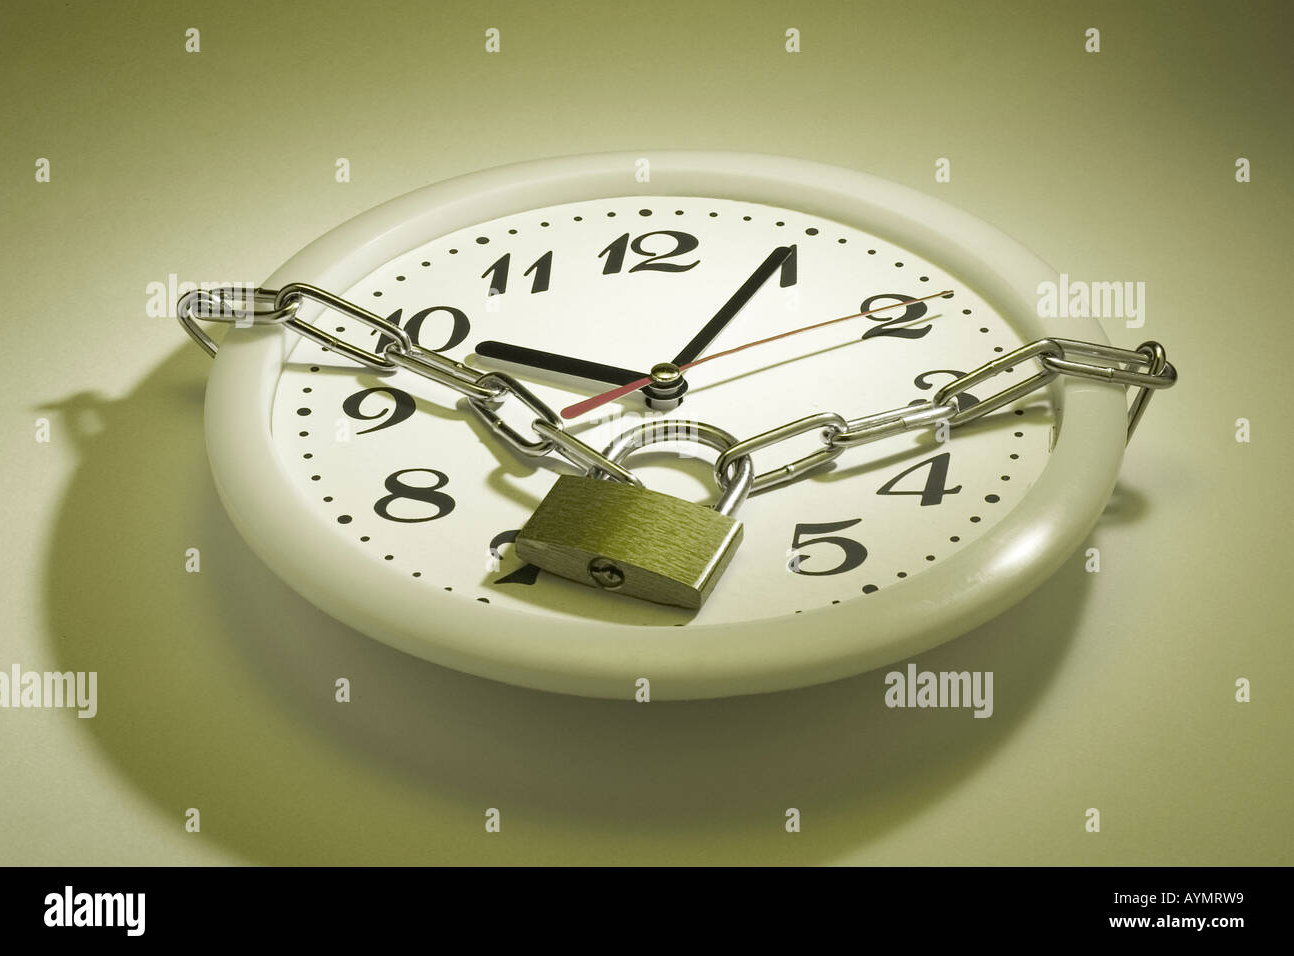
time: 10:04
